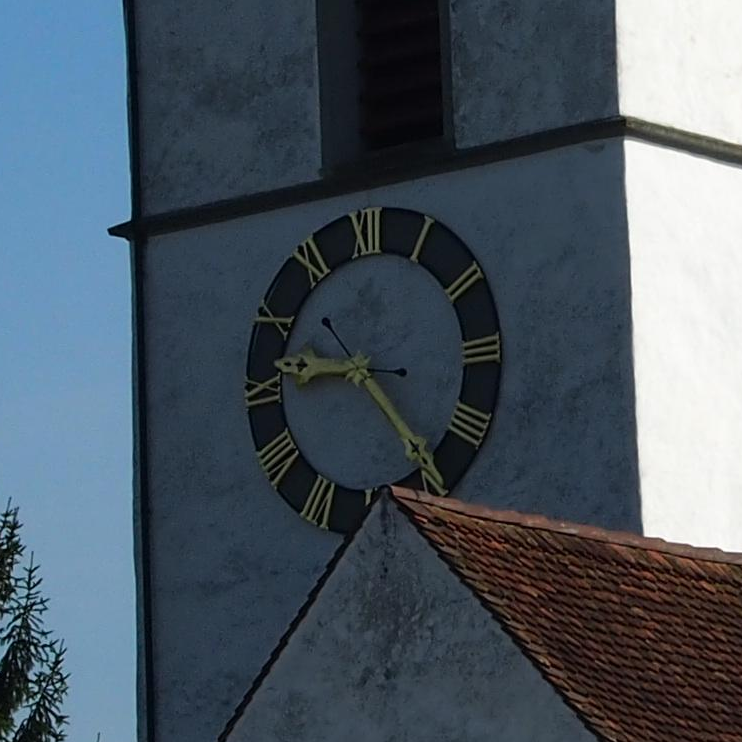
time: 9:23
